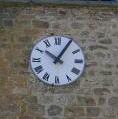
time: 10:05
